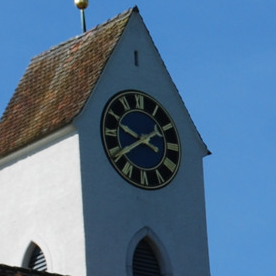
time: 9:39
